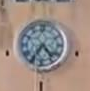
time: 4:35
